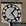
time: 1:24
